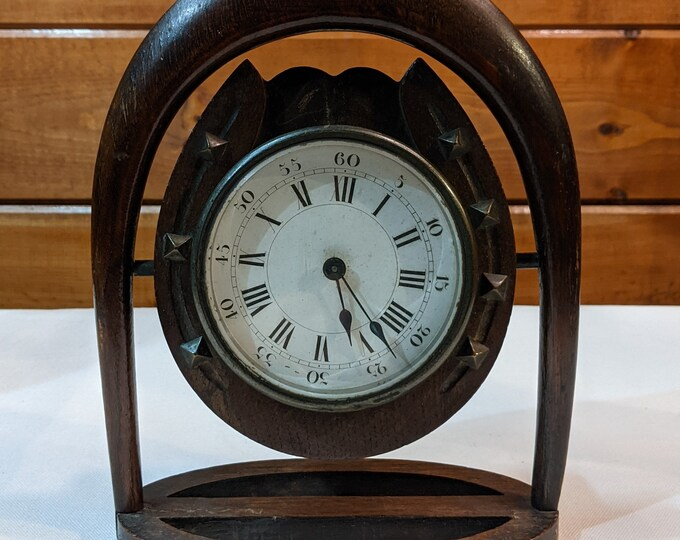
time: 5:22
